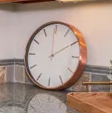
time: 1:59
